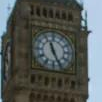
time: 11:25
